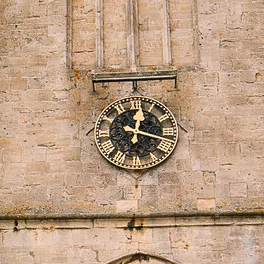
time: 12:17
